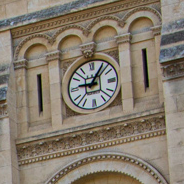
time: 9:05
